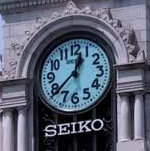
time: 12:37
